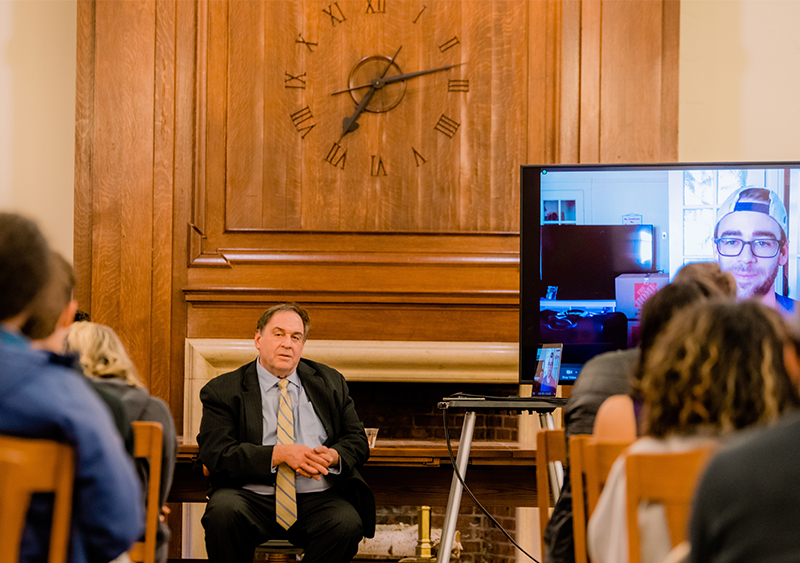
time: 7:13
